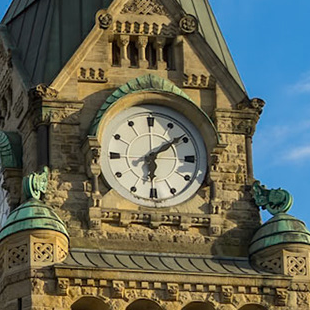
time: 6:08
